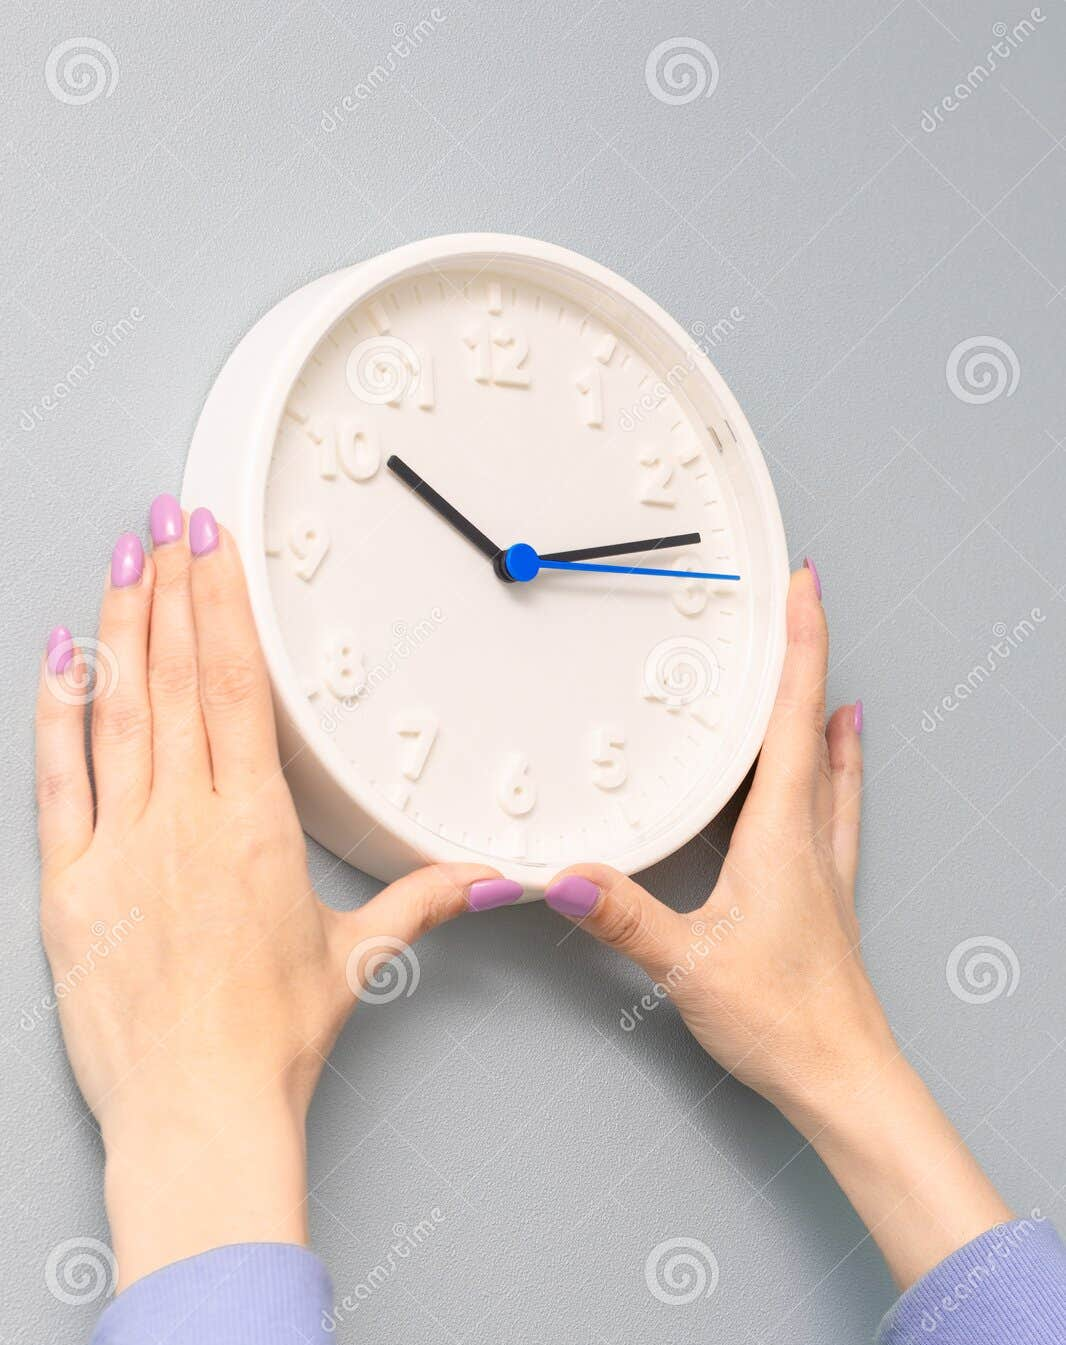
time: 10:13
